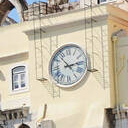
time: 2:53
